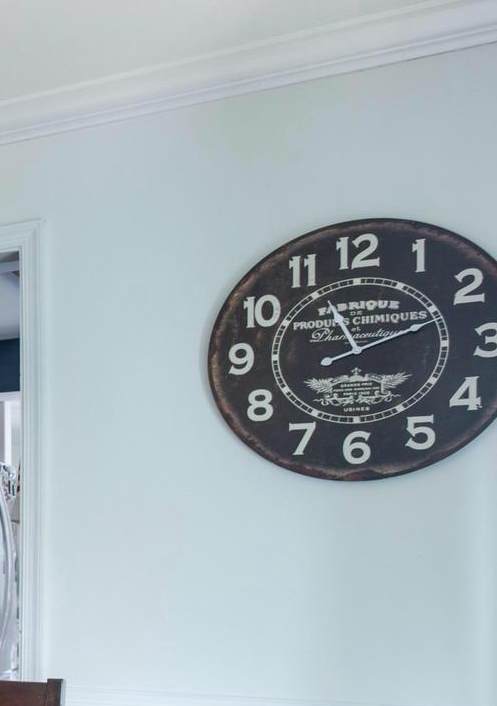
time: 11:11
